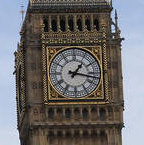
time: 1:17
